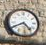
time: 4:40
